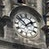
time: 1:51
